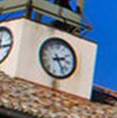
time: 2:23
